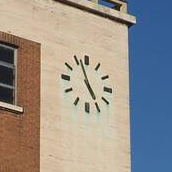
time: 4:56
